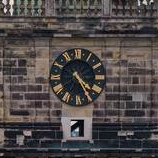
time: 4:24
